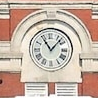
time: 11:07
